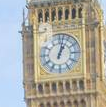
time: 1:02
